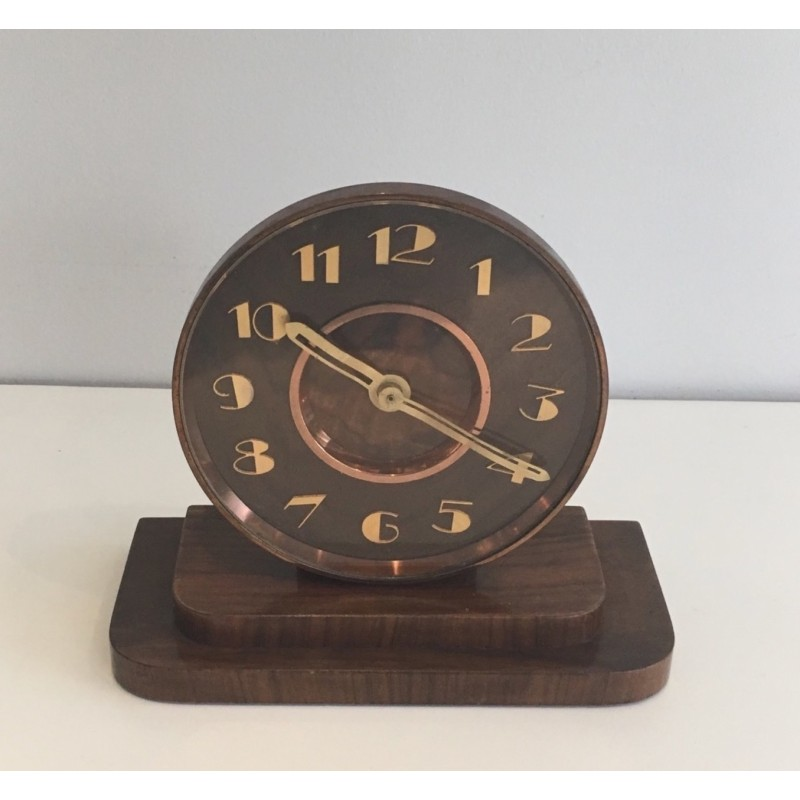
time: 10:19
